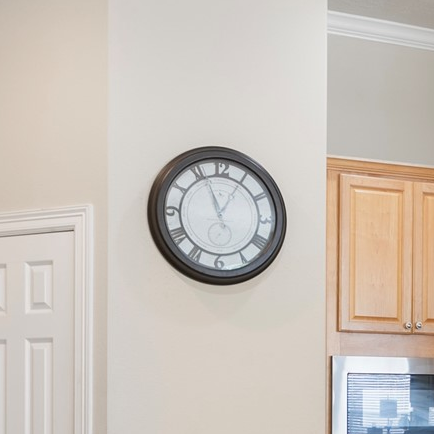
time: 12:56
